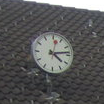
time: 4:13
